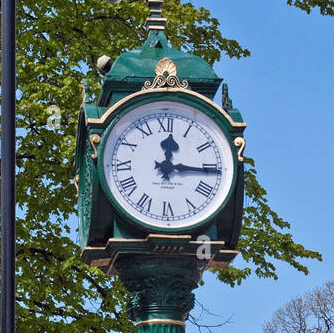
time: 12:15
